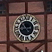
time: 10:43
